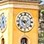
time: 9:10
